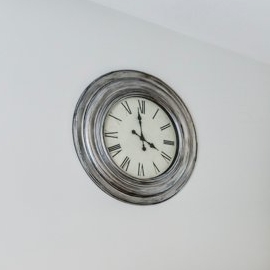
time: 3:58
